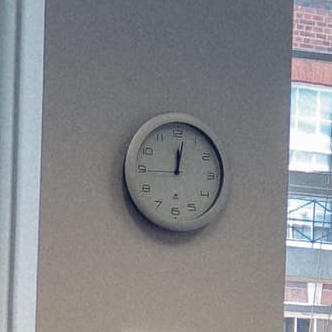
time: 12:01
